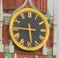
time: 5:45
